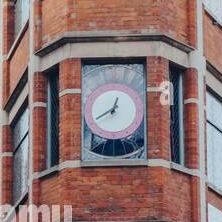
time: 12:40
